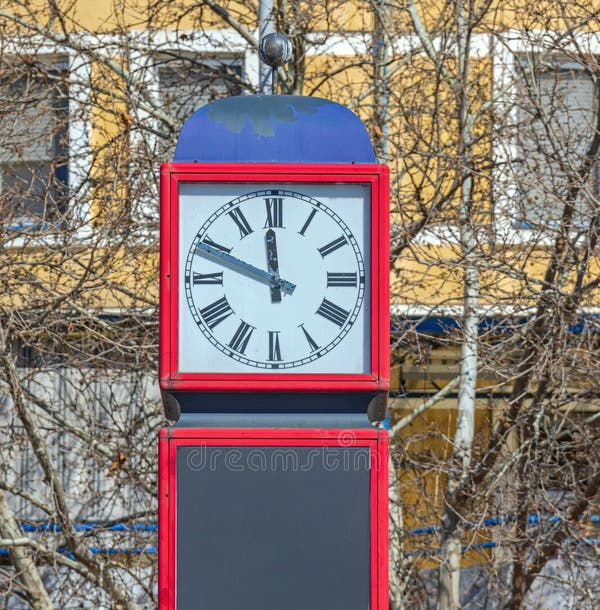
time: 11:48
